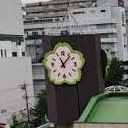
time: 11:07
